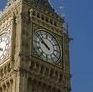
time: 9:51
